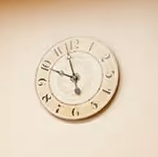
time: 9:57
